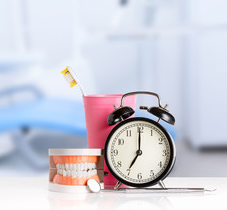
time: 7:00
